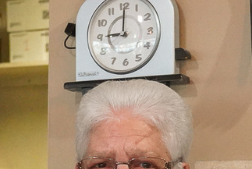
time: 9:00
